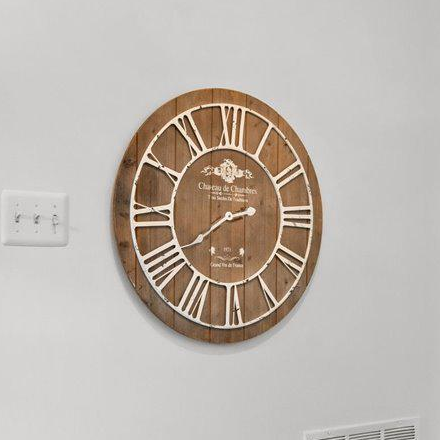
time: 2:39
